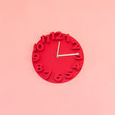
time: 12:14
